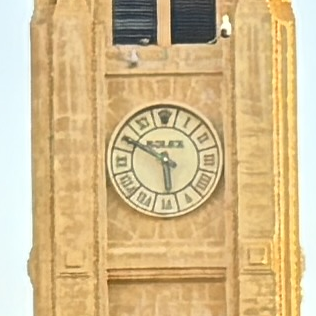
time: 5:49
